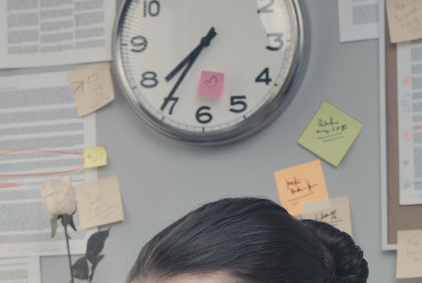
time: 7:35
